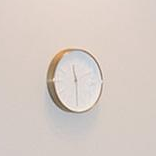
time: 11:29
